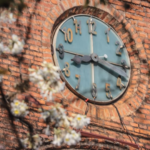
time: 8:18
